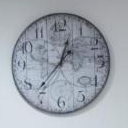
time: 12:36
